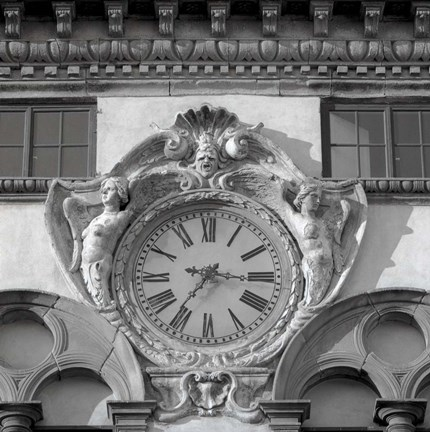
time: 7:15
